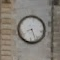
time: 8:26
